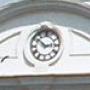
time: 2:51
